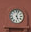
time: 5:03
